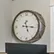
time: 5:16
